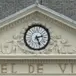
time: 2:26
